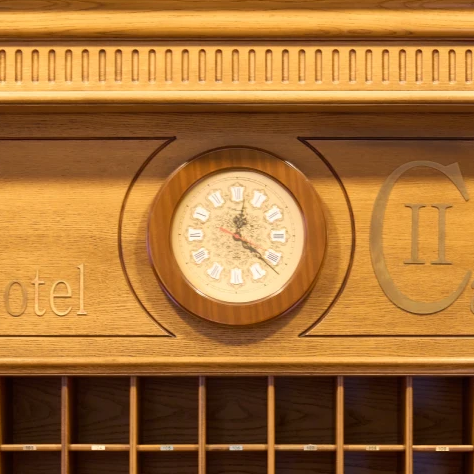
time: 12:21
